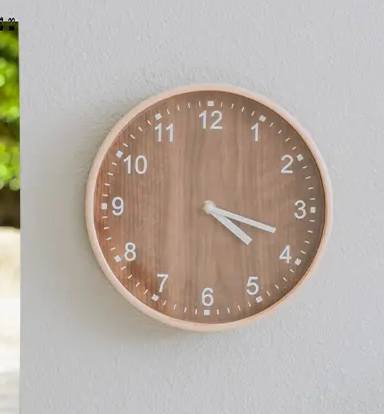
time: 4:18
